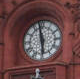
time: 5:58
